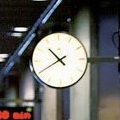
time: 10:40
